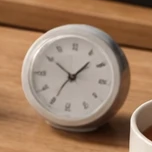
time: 10:07
